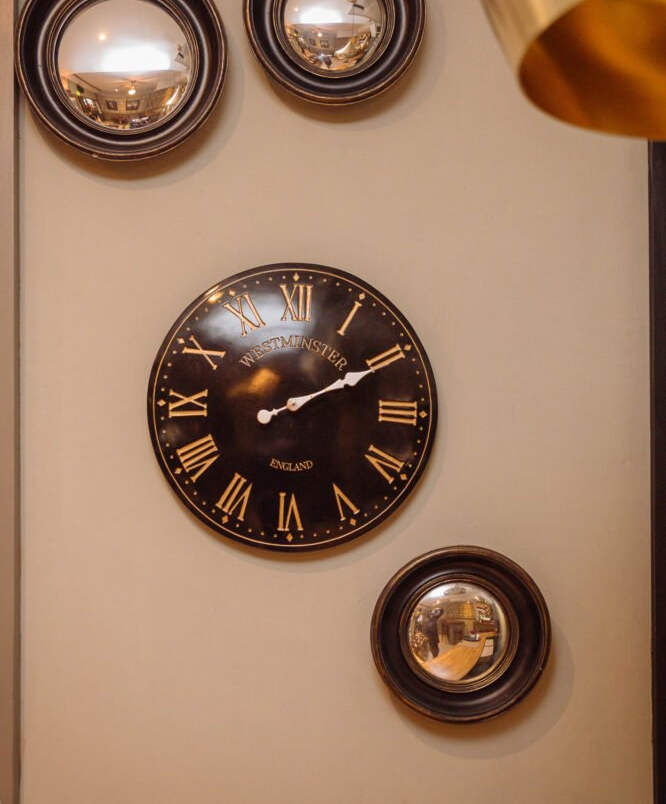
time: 2:10
